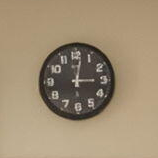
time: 3:01
